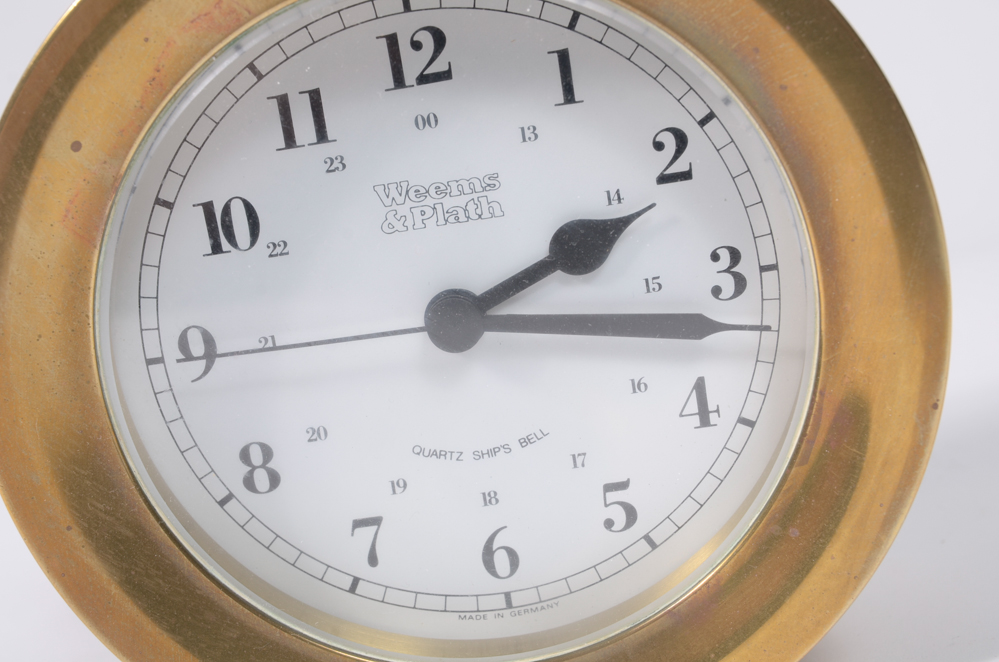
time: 2:16
